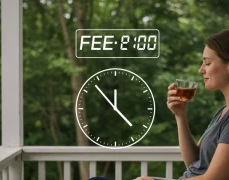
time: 11:53
